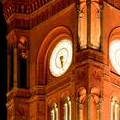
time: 5:26
